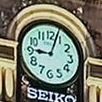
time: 9:03
